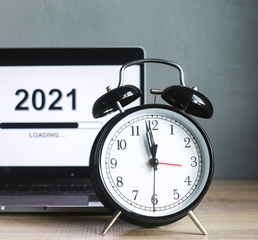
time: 11:58
